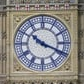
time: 10:18
